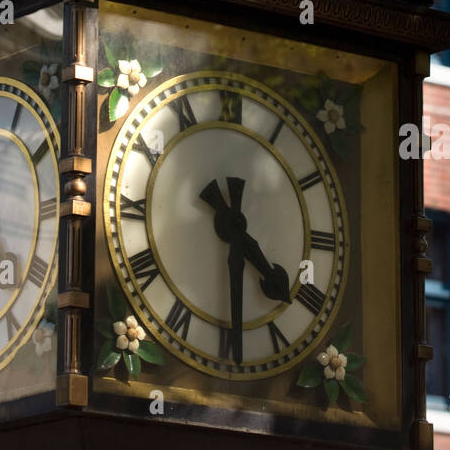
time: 4:29
